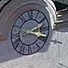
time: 2:18
